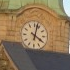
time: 4:02
